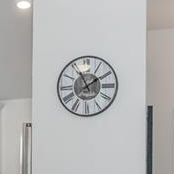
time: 1:55
